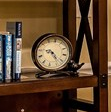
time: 9:22
